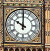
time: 10:00
